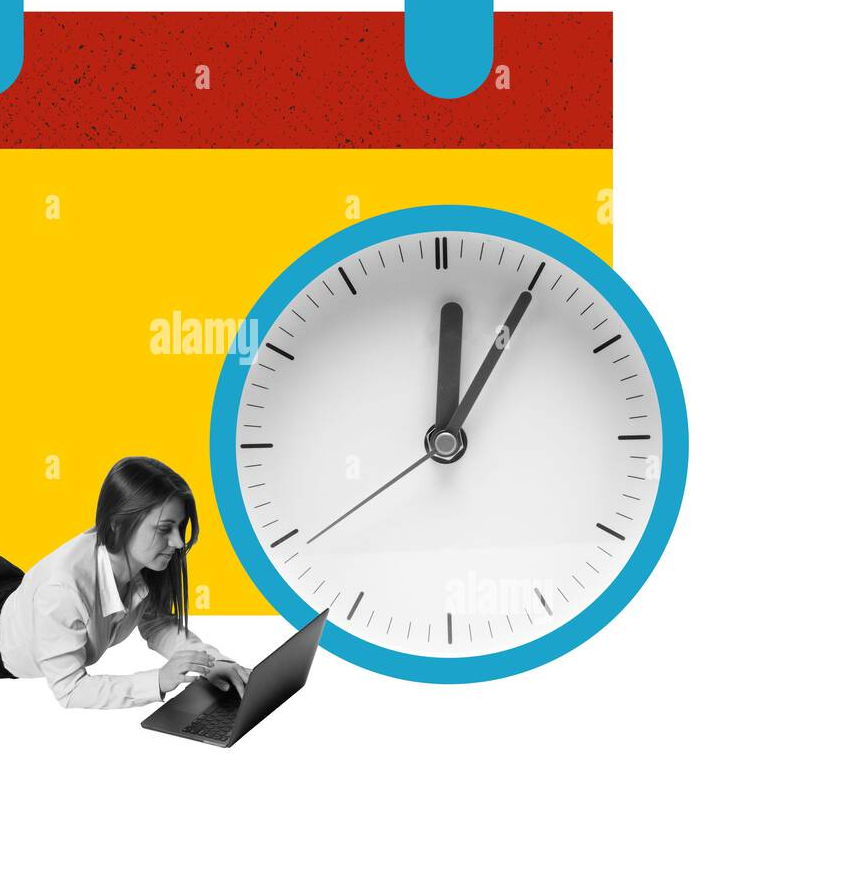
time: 12:05
